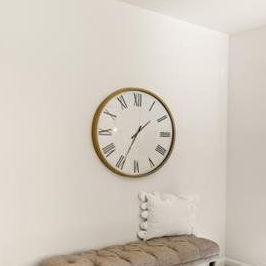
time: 1:34
